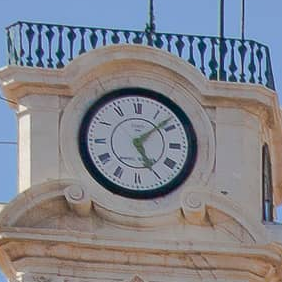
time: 5:08
